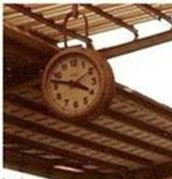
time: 3:47
